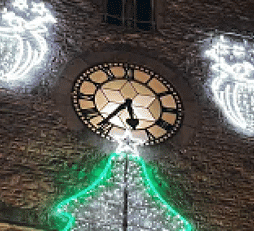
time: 5:36
